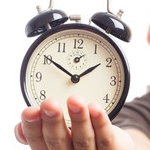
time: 1:50
